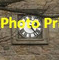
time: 1:22
